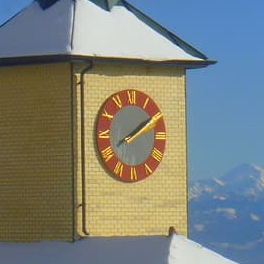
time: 2:09
